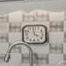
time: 3:58
